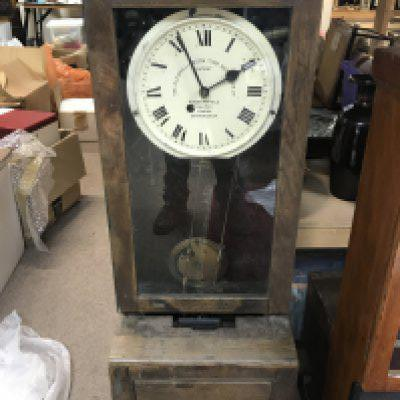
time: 1:56
